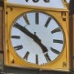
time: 4:50
